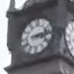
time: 3:12
